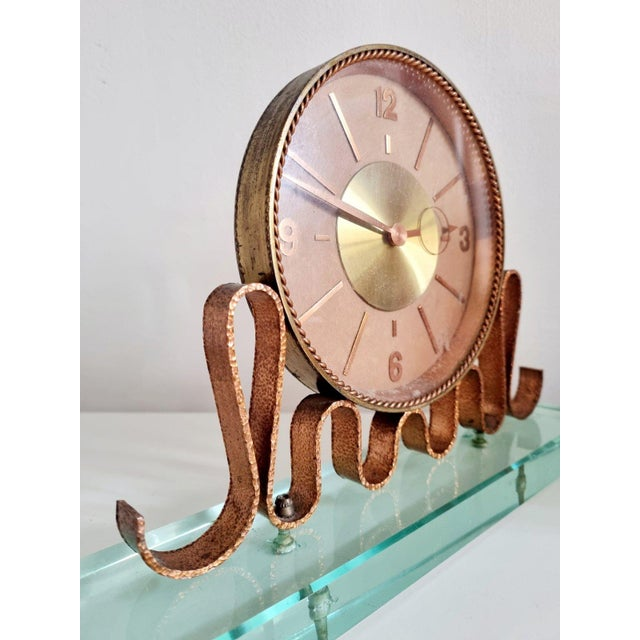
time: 3:47
